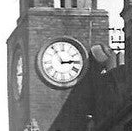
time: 2:54
